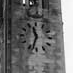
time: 11:33
